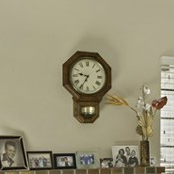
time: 9:35
